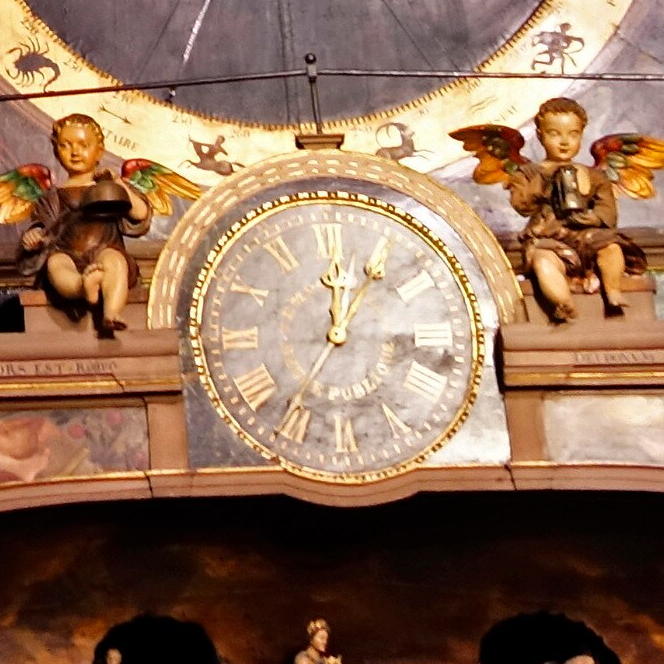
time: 12:04
